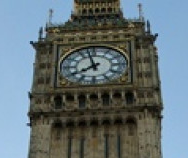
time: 7:57
